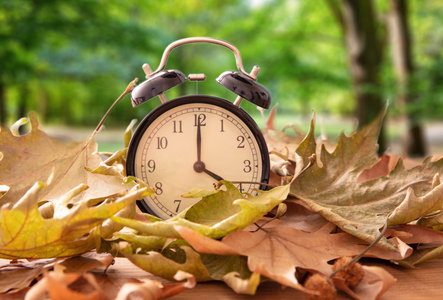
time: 4:00
